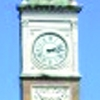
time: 3:12
